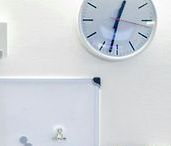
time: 12:32
